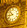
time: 8:52
